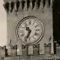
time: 10:34
